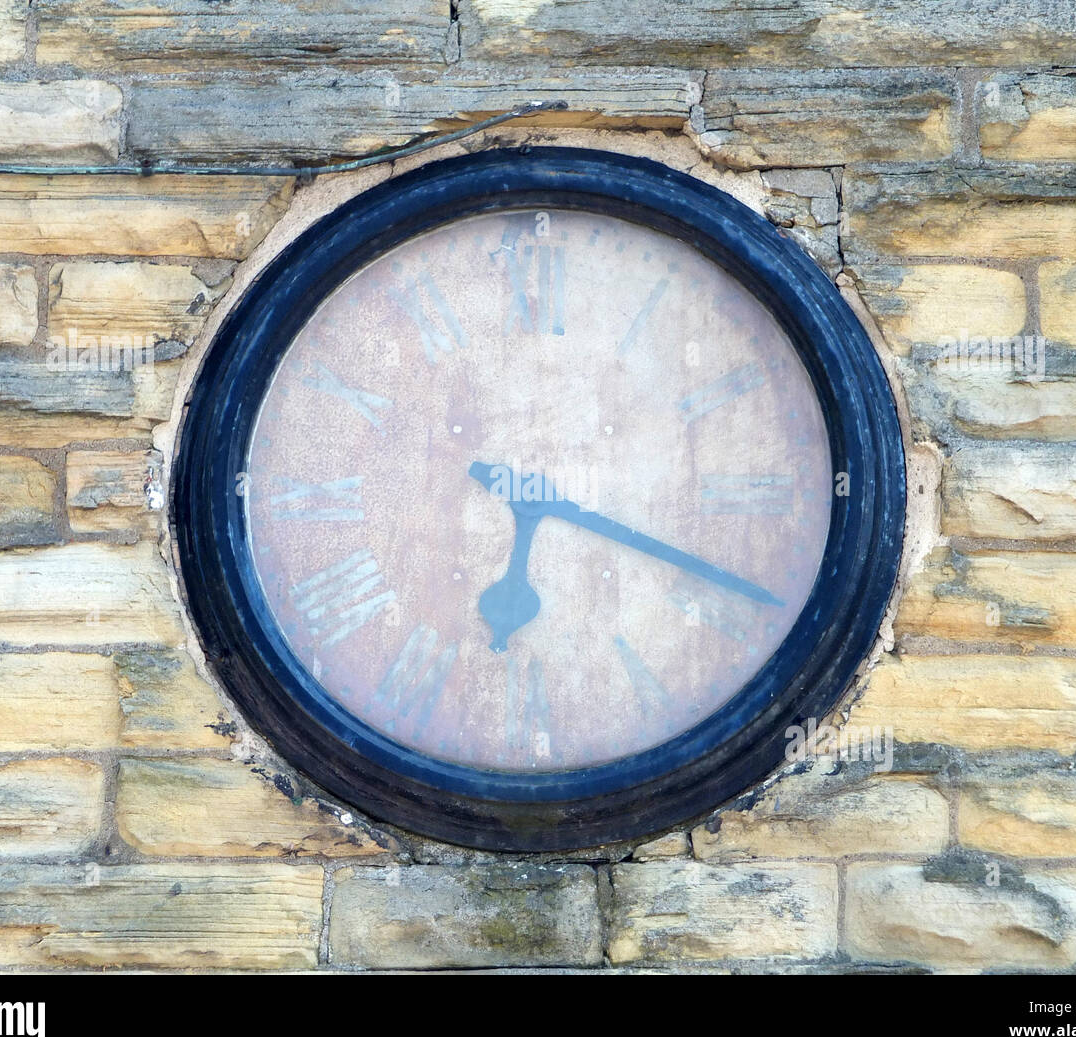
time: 6:18
